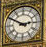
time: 2:50
